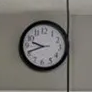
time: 9:41
